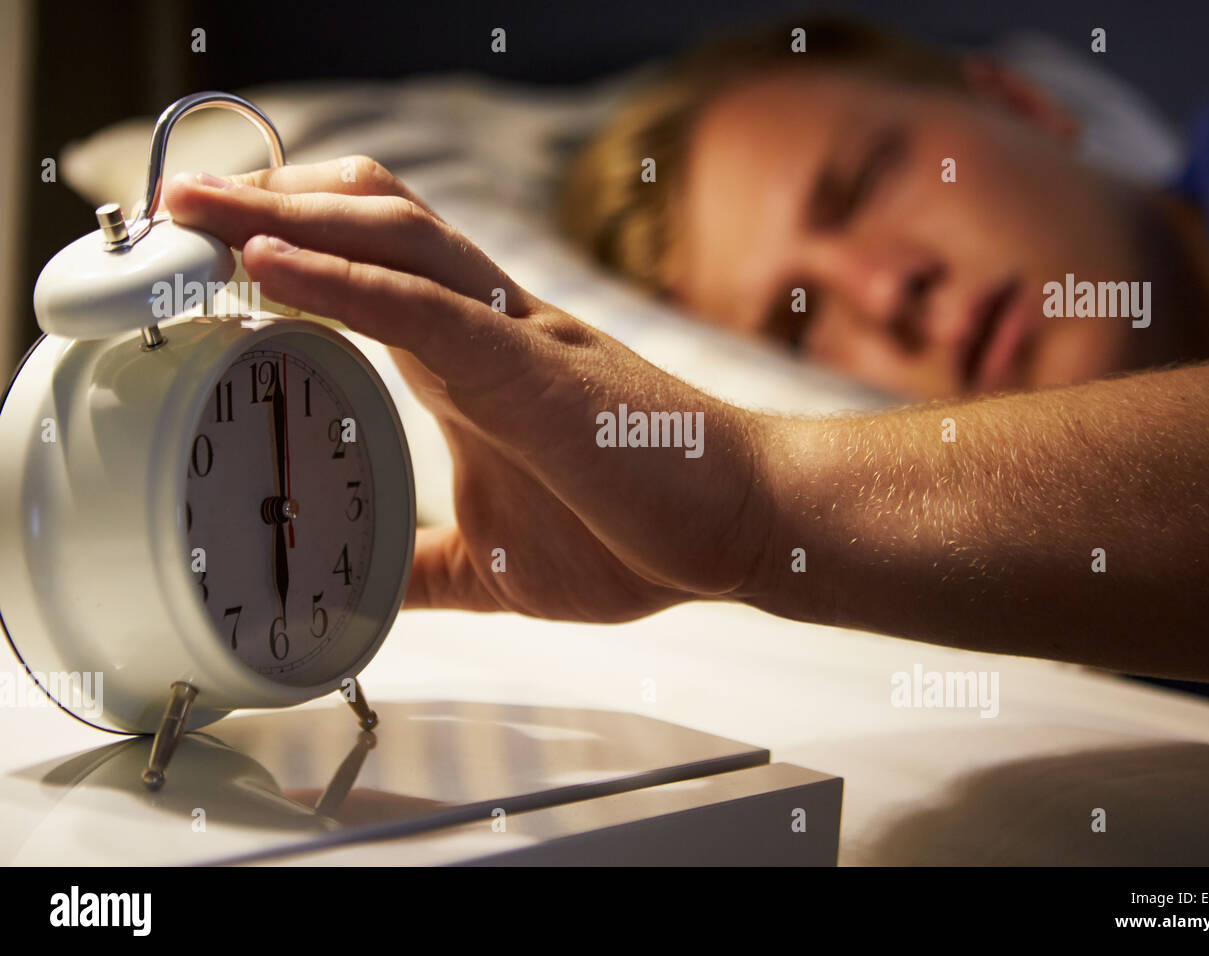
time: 6:01
